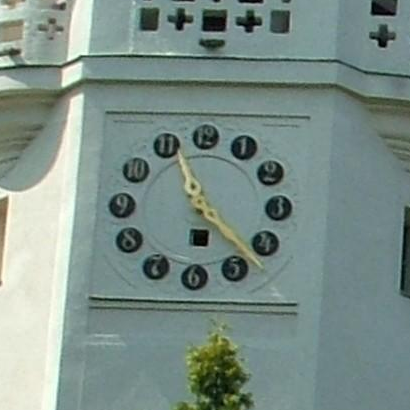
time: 11:22
